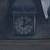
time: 12:11
